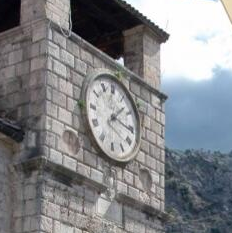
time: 1:16
